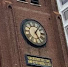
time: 5:06
